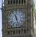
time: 11:27
